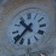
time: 10:37
